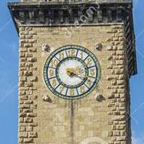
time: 2:18
